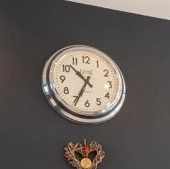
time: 10:34
